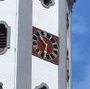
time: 10:32
